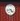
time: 4:42
